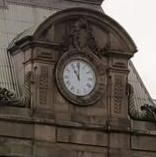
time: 11:00
